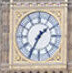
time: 1:34
